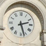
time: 2:27
